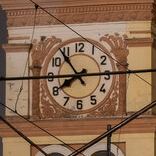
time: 7:53
